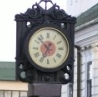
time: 10:34
